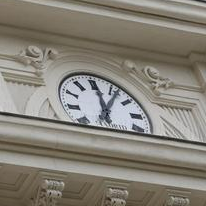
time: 12:06
